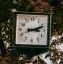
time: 3:11
